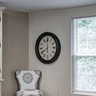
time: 7:59
